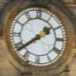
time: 1:38
